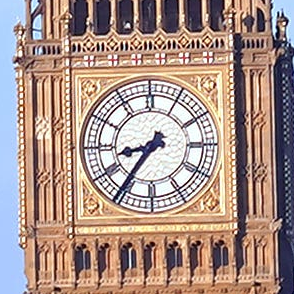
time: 8:36
